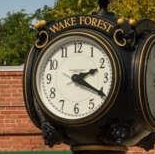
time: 2:20
